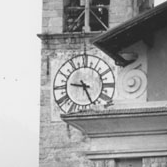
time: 9:25
